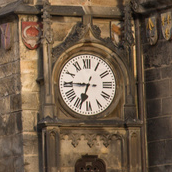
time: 6:45
